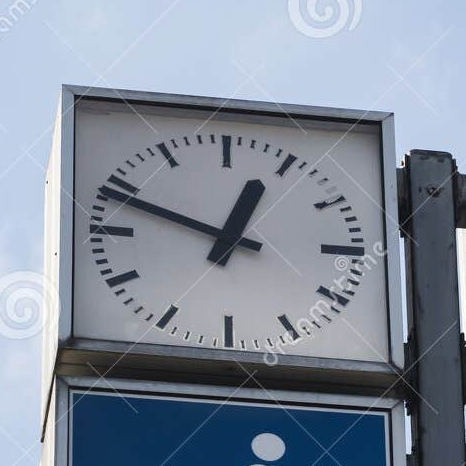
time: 12:48
